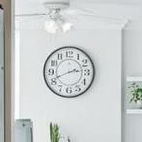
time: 2:41
